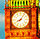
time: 8:06
